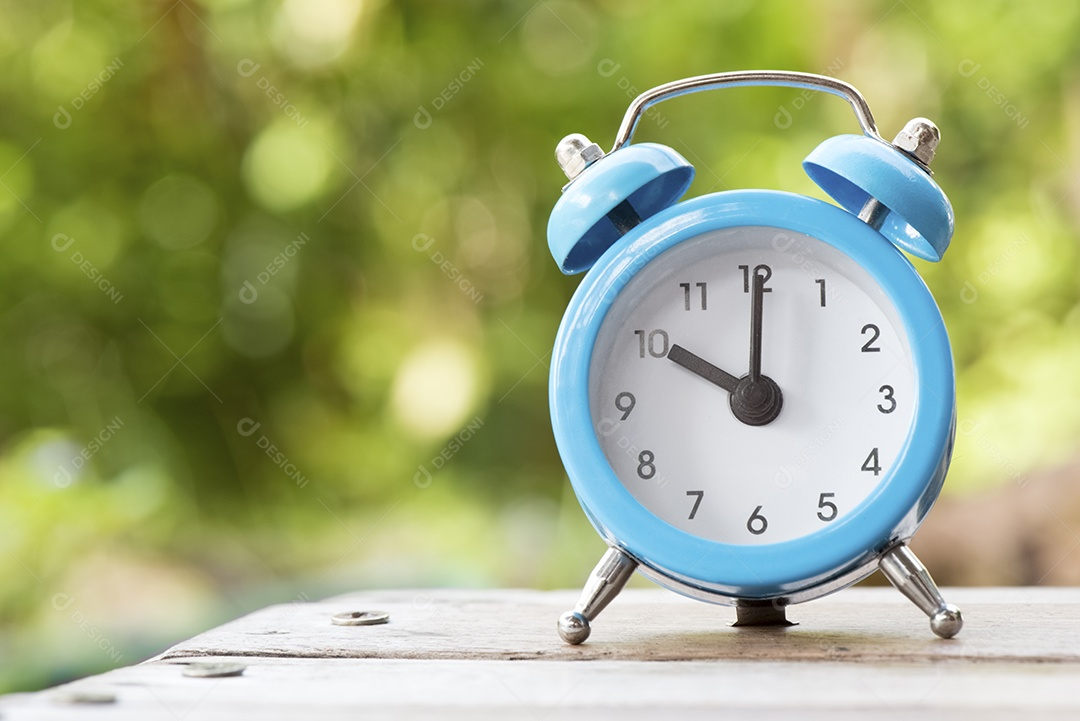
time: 10:00
